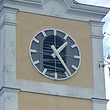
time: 1:24
